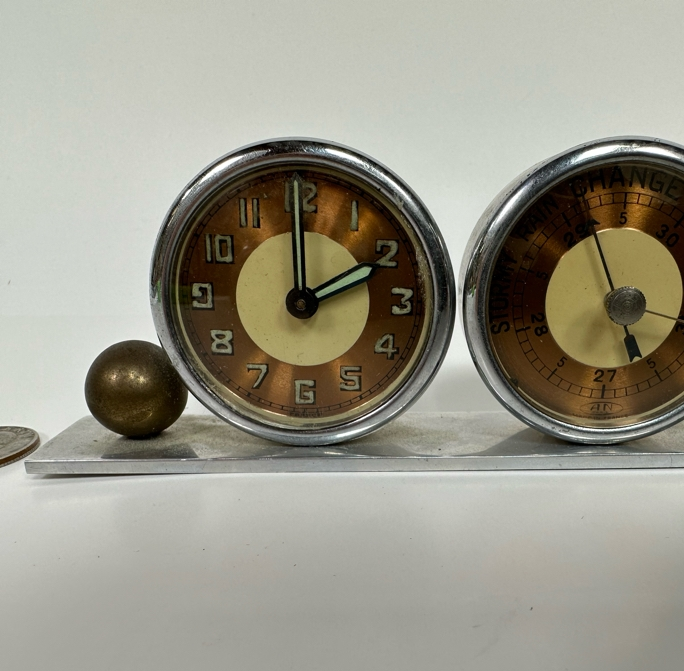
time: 1:59
